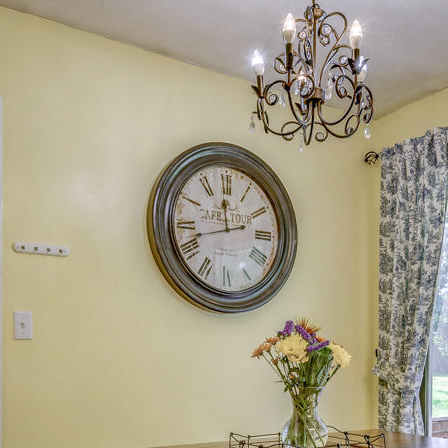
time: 11:42
